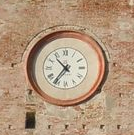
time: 10:36
